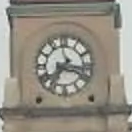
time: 7:17
